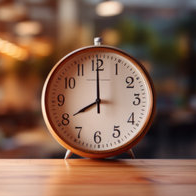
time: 7:59
